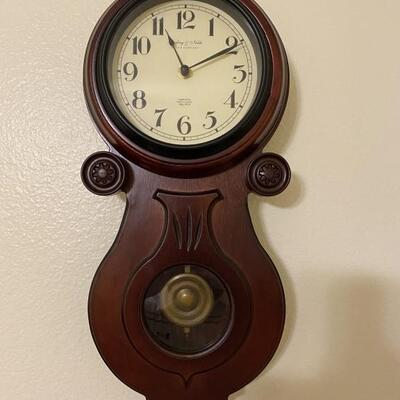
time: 11:10
